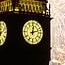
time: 12:12
